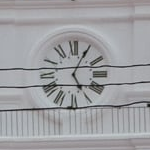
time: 5:04
